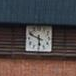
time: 5:49
